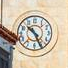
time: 10:25
